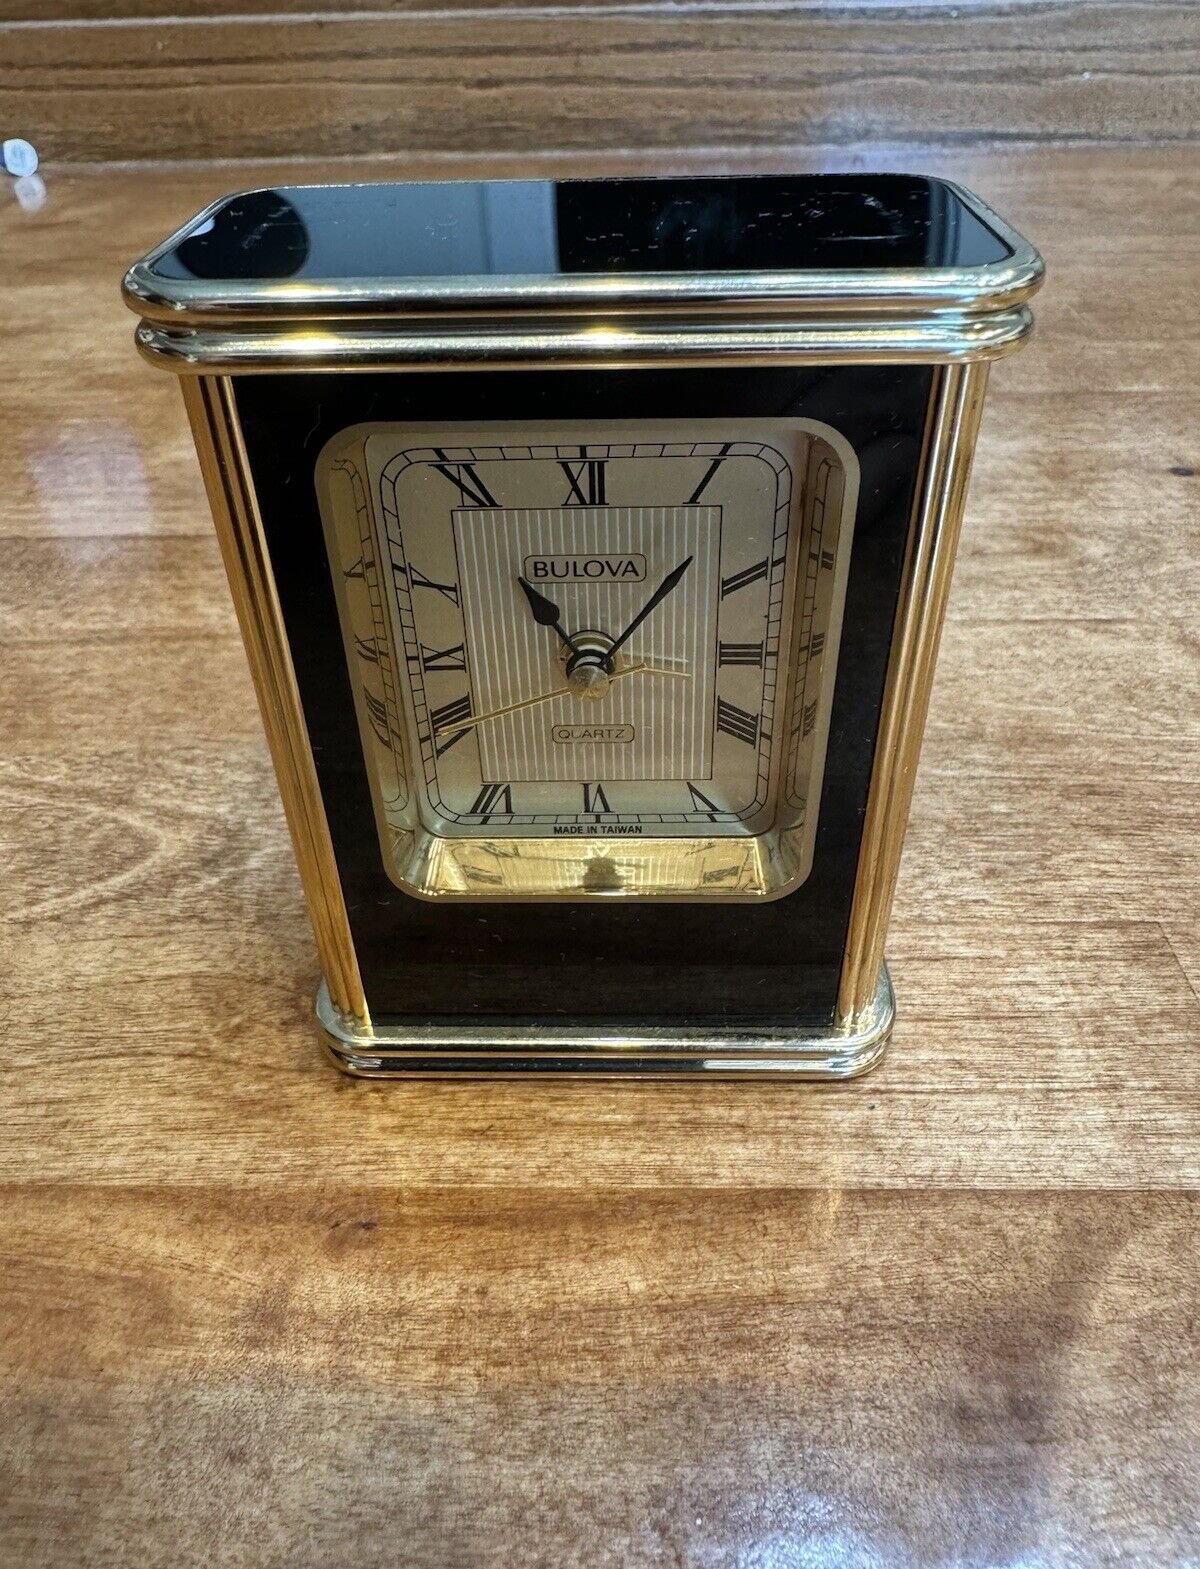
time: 11:07
